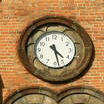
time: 4:27
